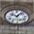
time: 10:07
